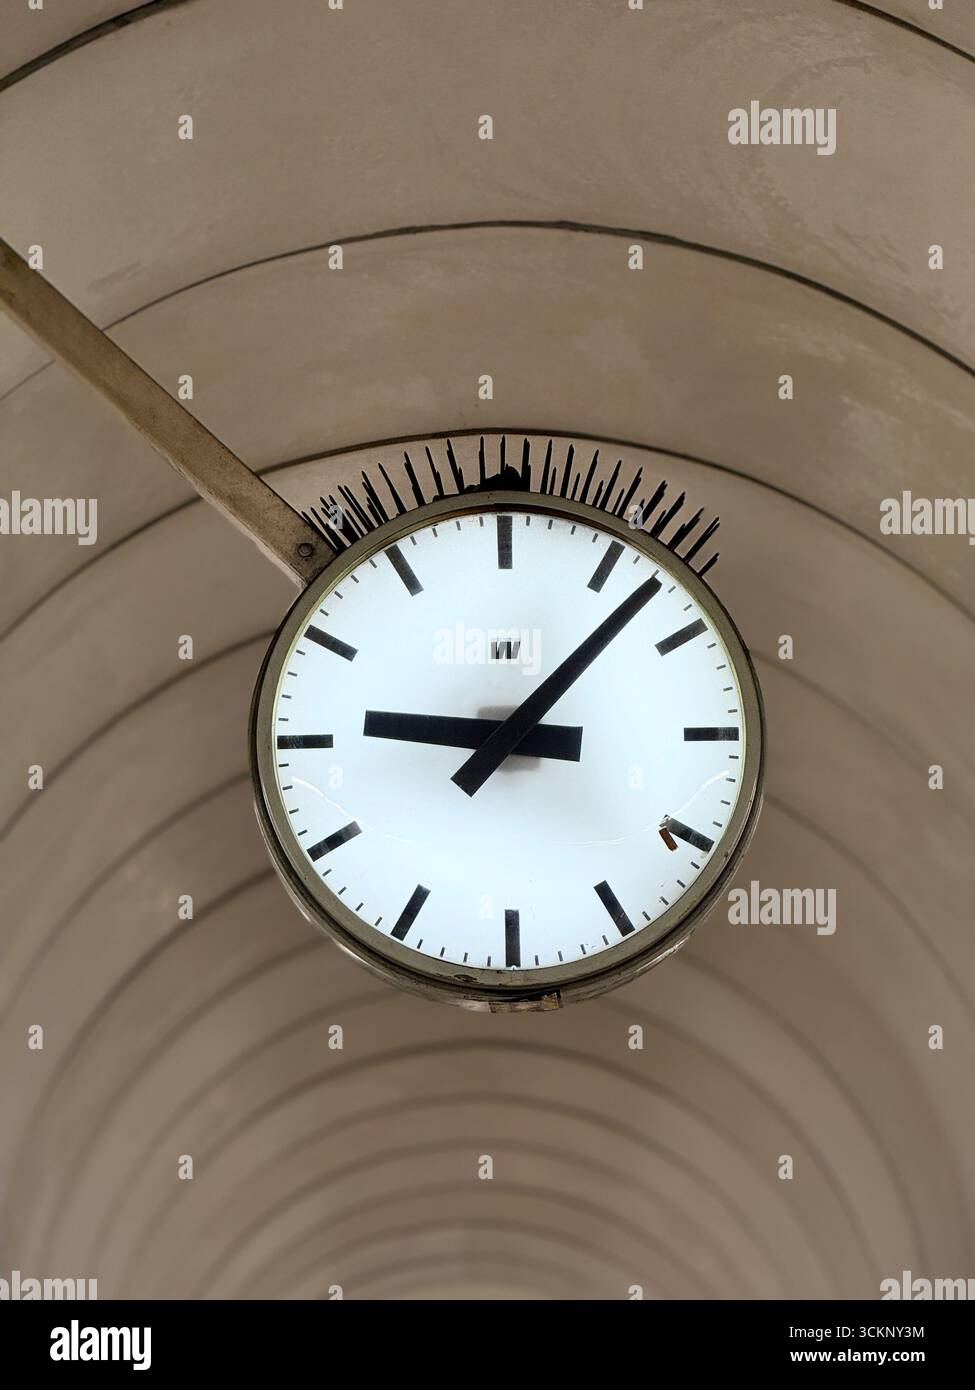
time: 9:07
